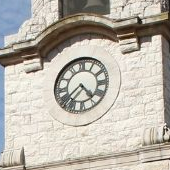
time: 4:37
